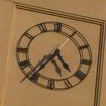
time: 4:35
